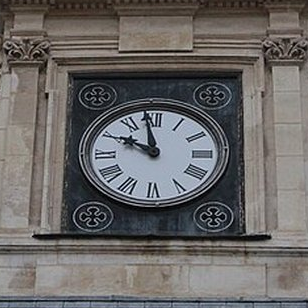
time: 9:58
